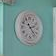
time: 2:23
